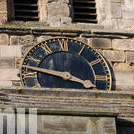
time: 3:47
